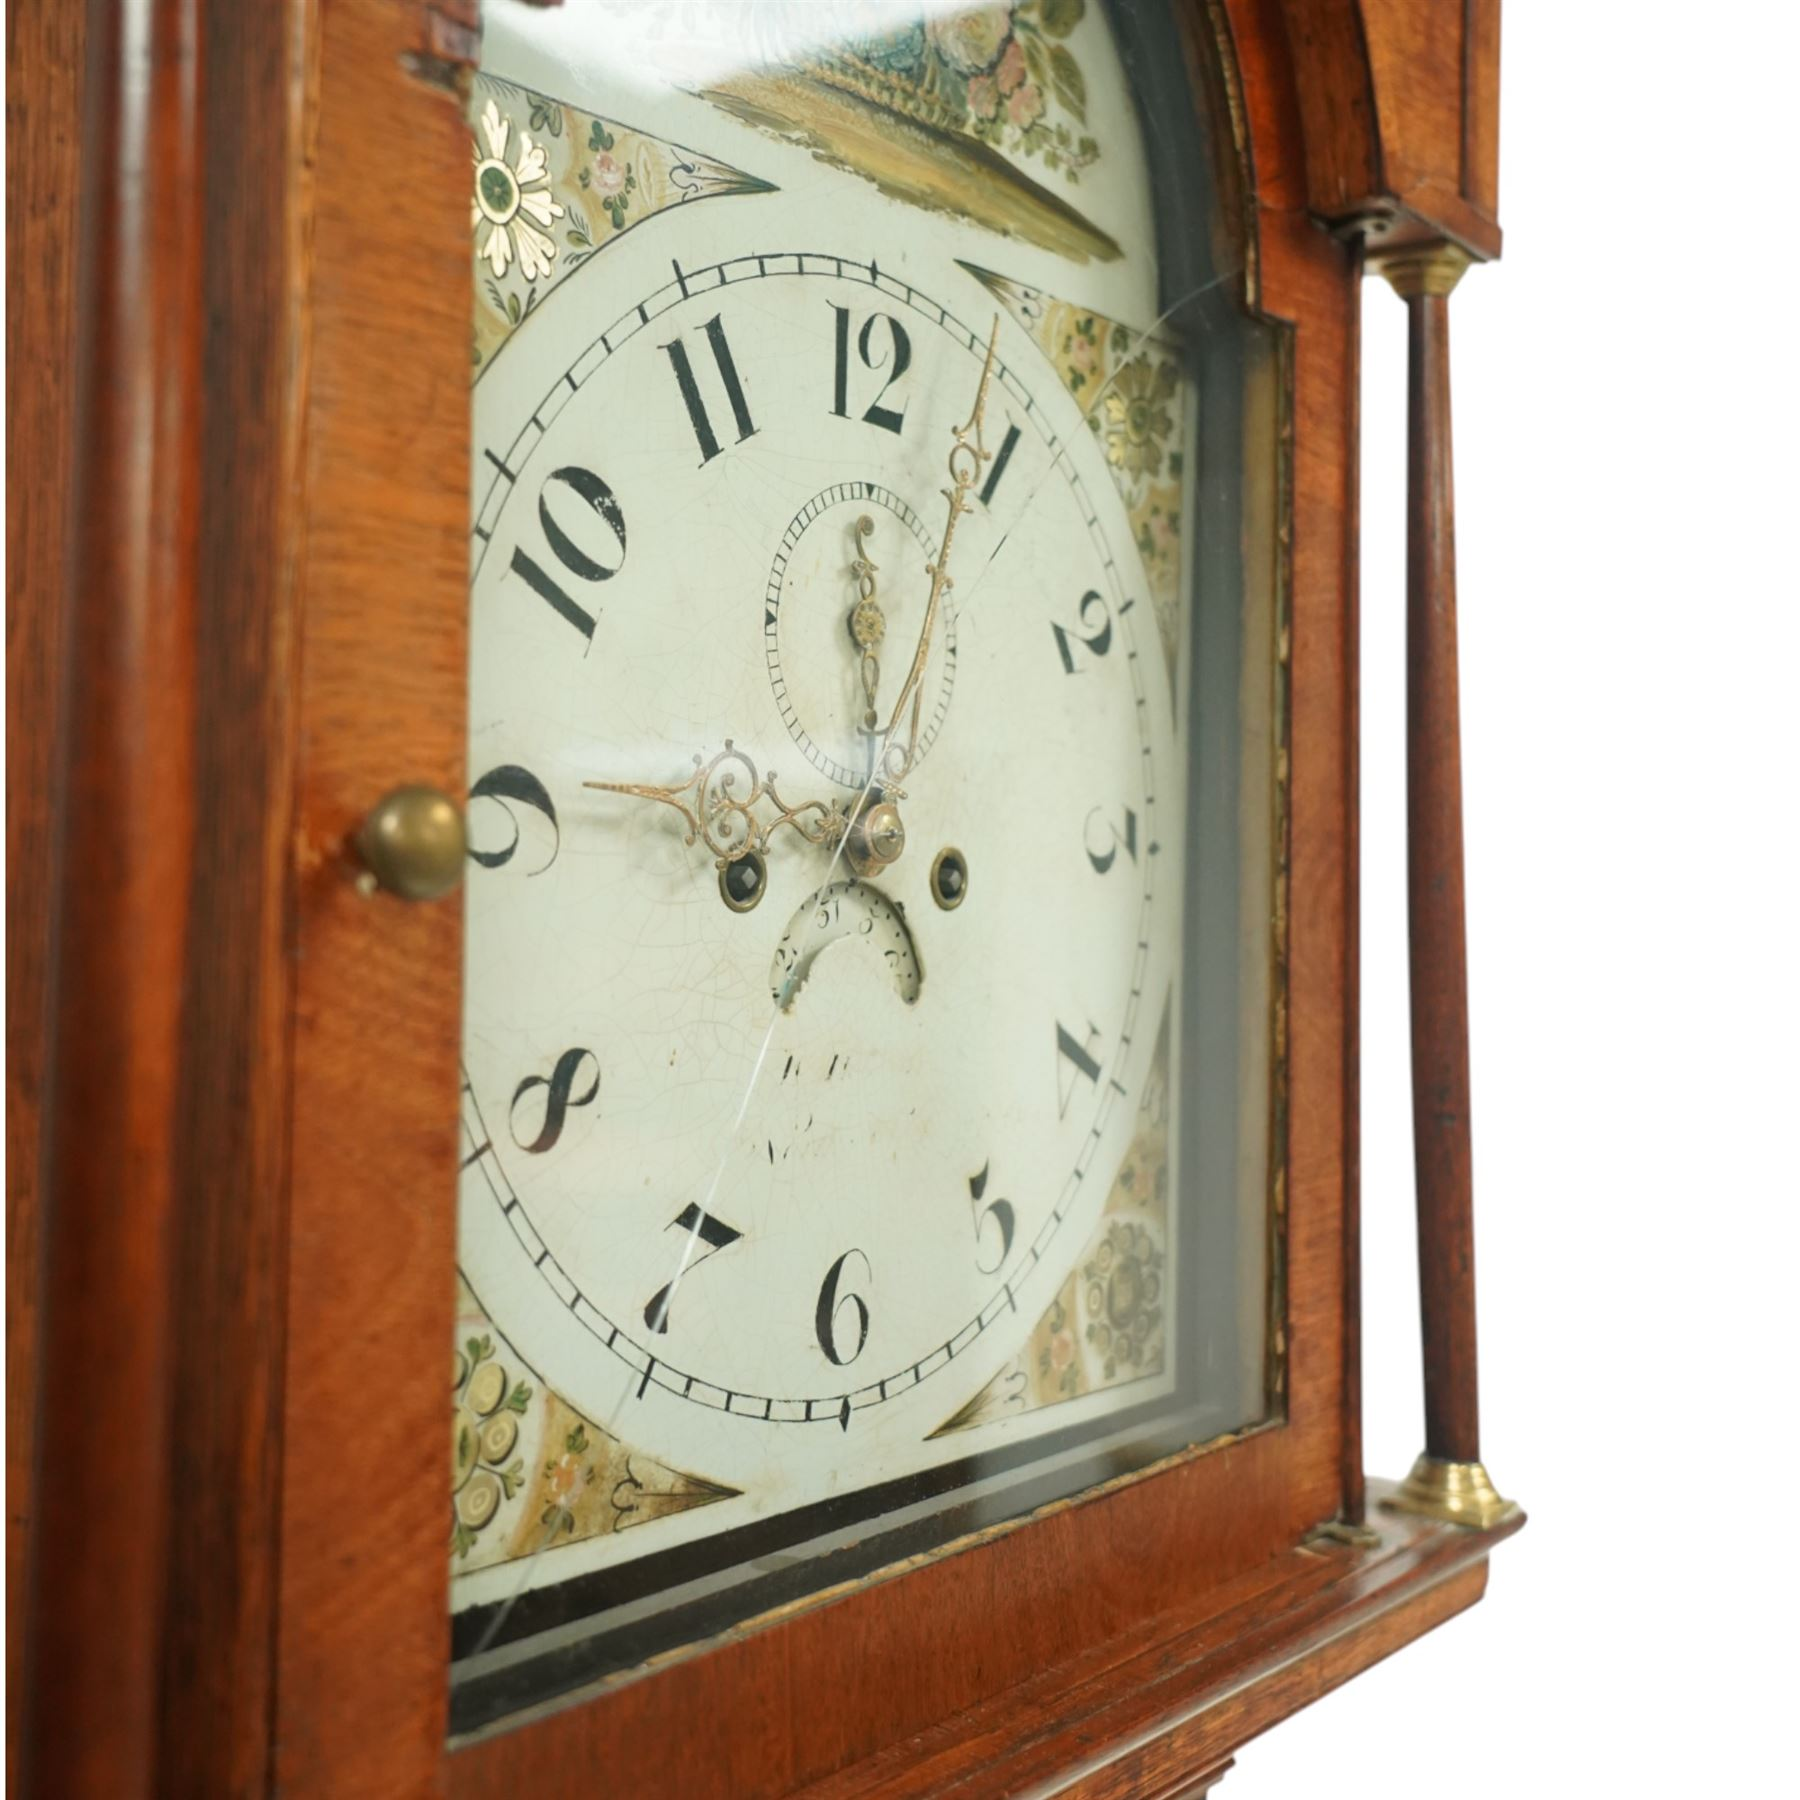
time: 11:45
